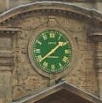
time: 1:38
